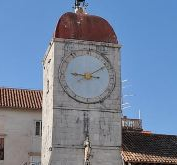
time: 9:10
